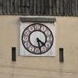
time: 4:27
